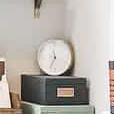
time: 11:34
